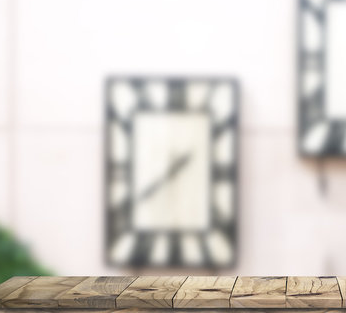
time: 1:39
